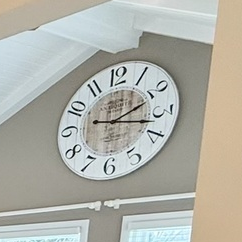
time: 2:17
